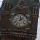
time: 12:07
